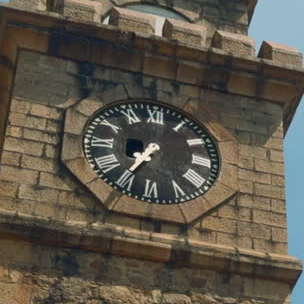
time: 7:35
